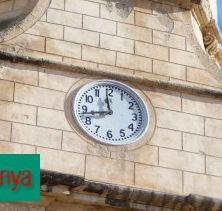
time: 11:42
